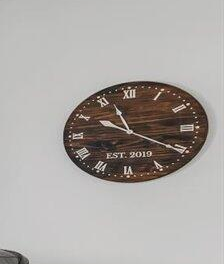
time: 11:20
